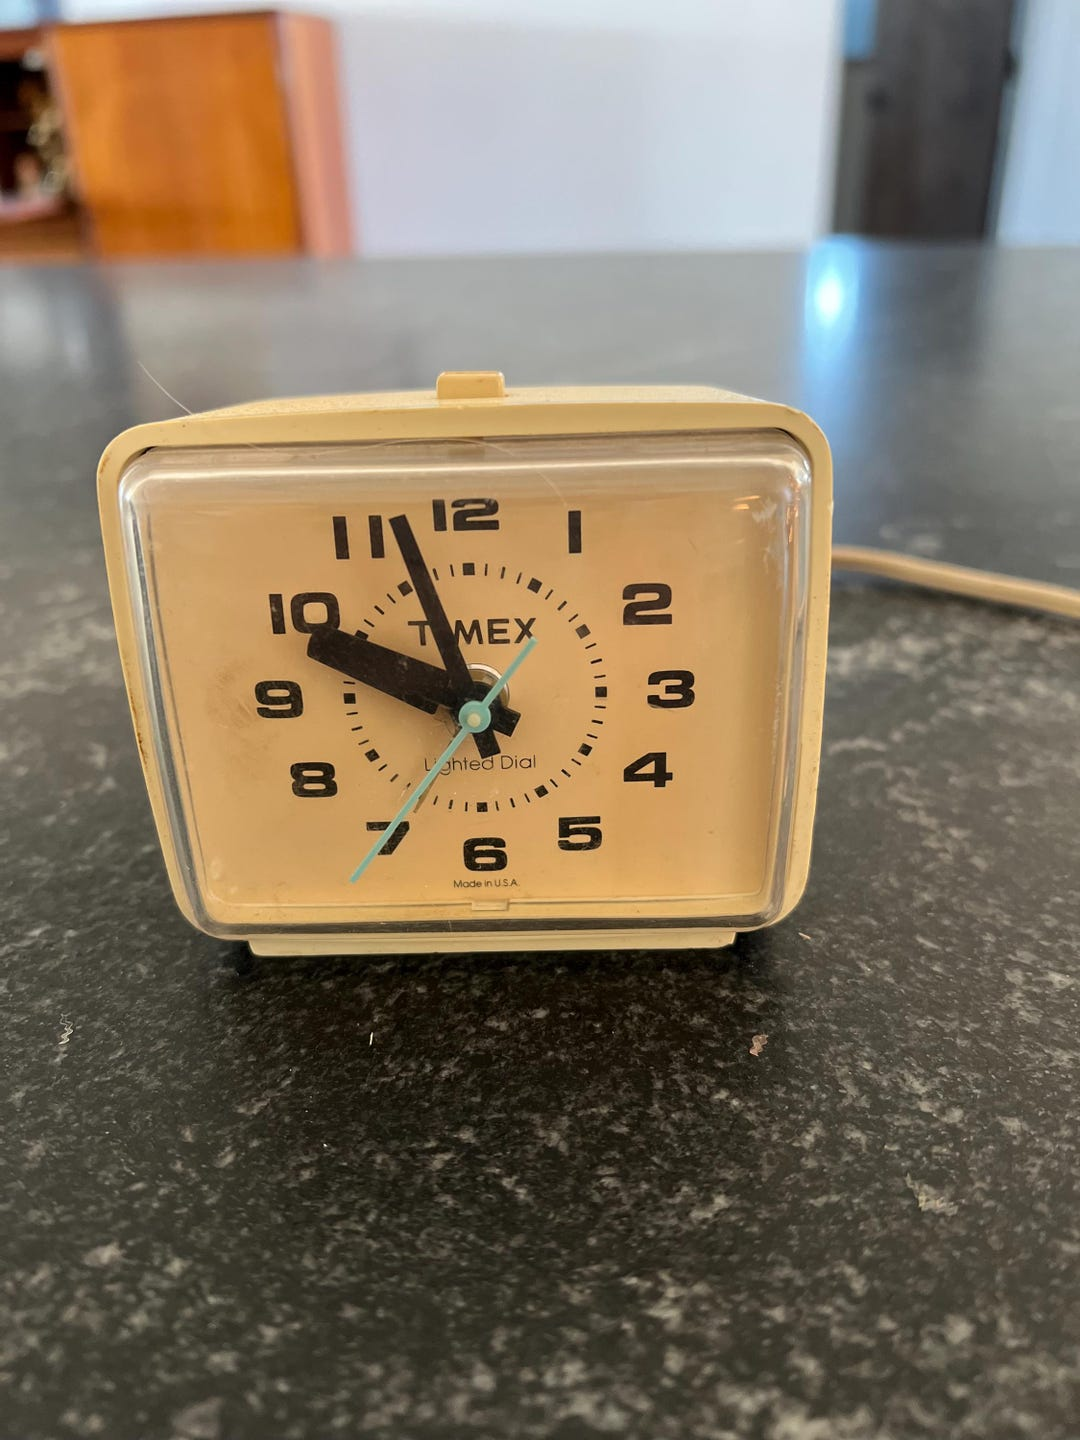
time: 9:57
